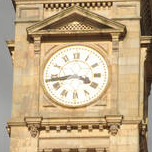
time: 3:43
